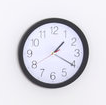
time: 1:20
